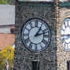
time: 1:12
